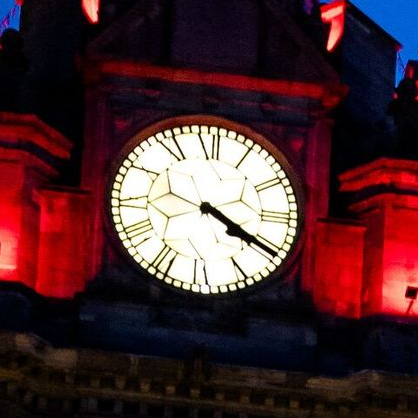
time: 4:20
